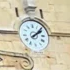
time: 2:08
